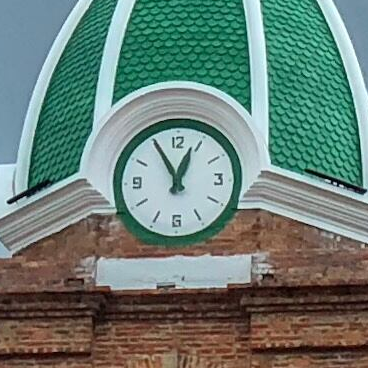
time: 12:55
